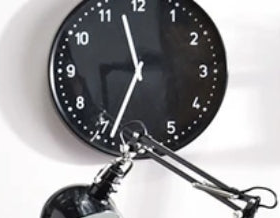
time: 11:33
